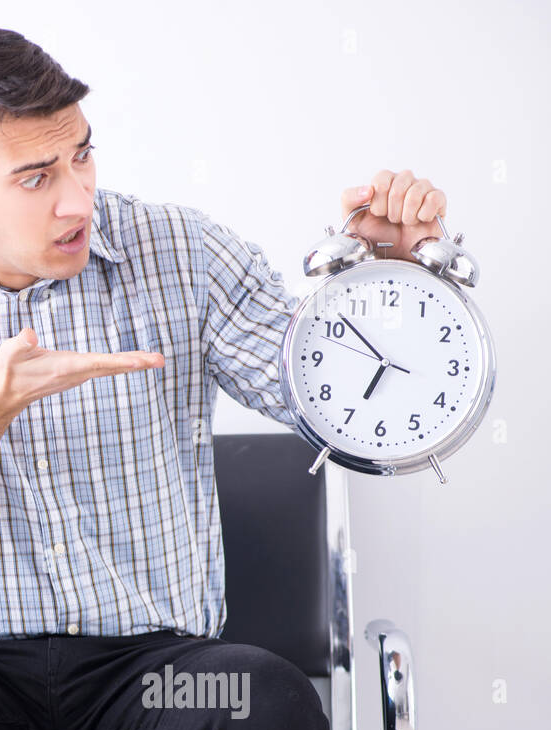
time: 6:52
